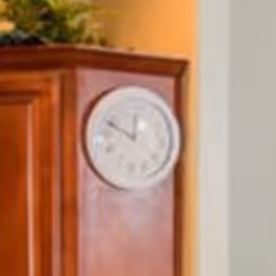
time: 11:49
